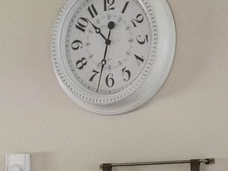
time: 10:32
